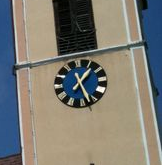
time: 1:26
